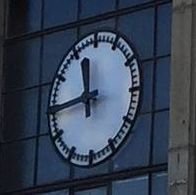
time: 11:44
